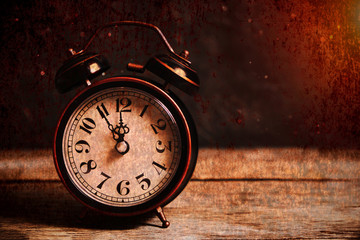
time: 11:54
